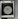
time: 4:12
